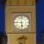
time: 5:45
